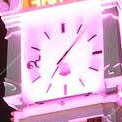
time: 7:07
